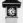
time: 5:08
